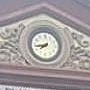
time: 7:43
